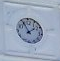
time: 1:55
